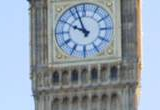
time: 9:56
